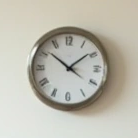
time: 1:51
